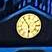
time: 5:54
